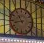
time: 10:43
